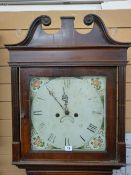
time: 11:53
